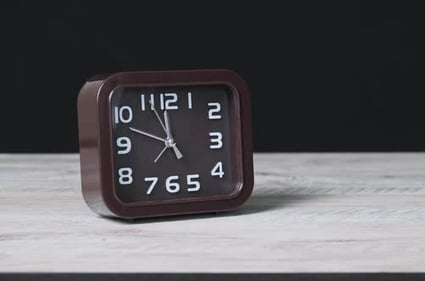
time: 11:48
